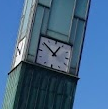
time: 12:51
